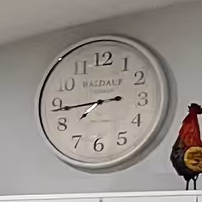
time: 7:43
